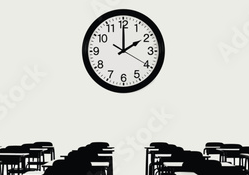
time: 2:00
